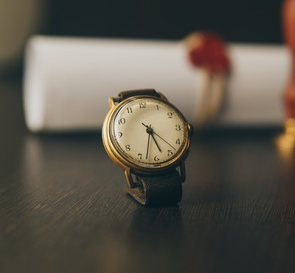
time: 5:33
